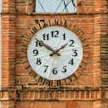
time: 1:50
